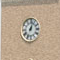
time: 1:02
